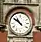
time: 10:51
